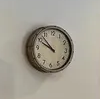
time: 9:52
